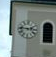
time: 2:46
